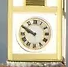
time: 9:50
